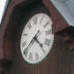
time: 4:40
